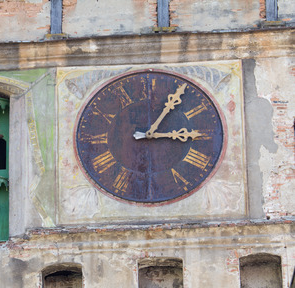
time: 3:05
